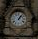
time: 1:06
